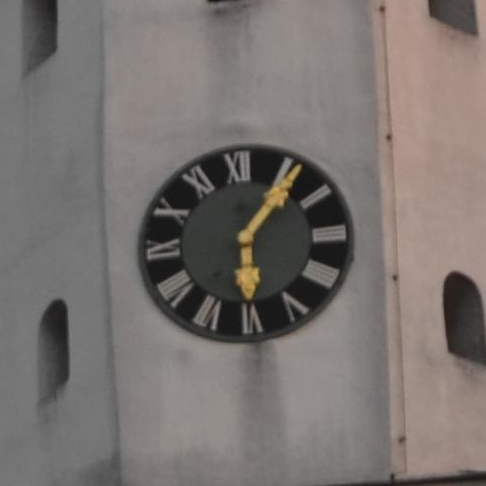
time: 6:06
